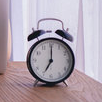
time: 7:00
